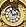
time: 11:12
